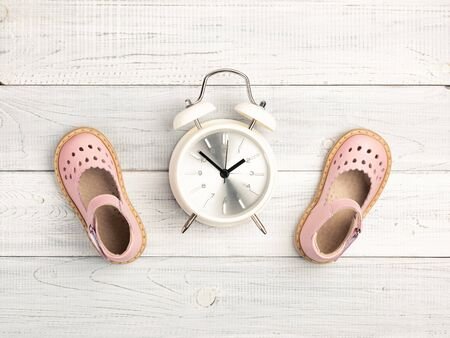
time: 1:51
